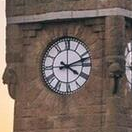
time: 4:12
